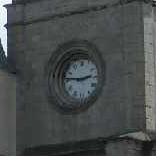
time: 2:46
